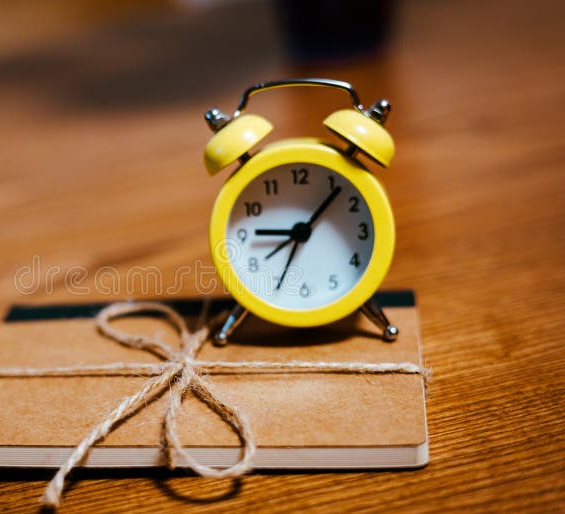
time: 9:07
